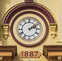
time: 2:09
